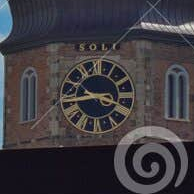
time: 3:43
